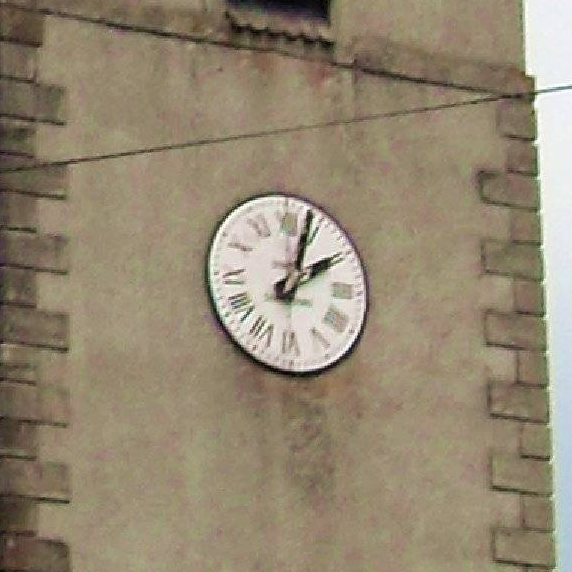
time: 2:03
